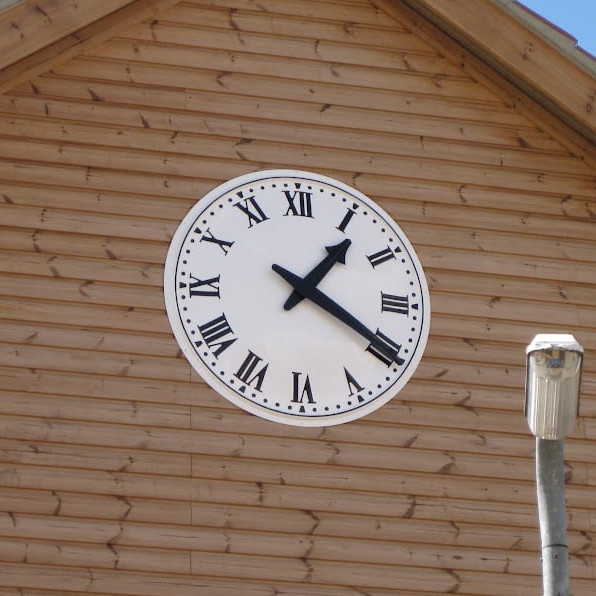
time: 1:20
